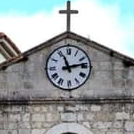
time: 11:13
